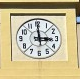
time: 2:59
